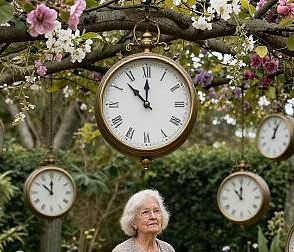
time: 11:52
